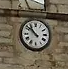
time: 10:52
